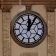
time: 12:05
